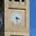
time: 3:28
